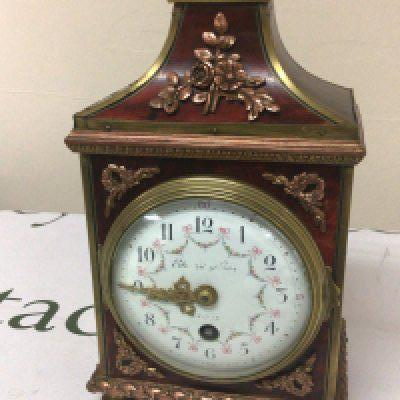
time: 8:45
